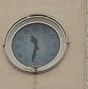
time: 11:32
